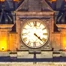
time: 4:22
